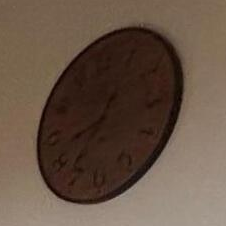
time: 8:36
